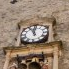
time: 11:55
